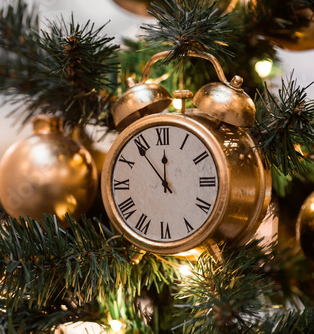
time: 11:53
